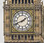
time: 1:41
